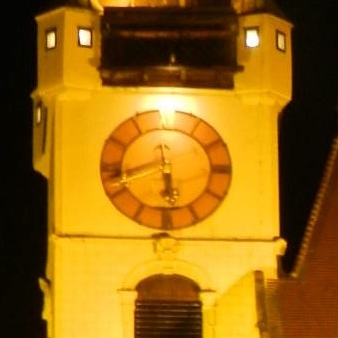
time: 5:42
